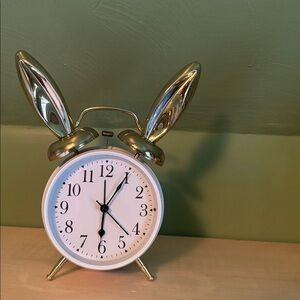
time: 6:05
